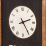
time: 2:24
